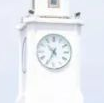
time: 10:34
